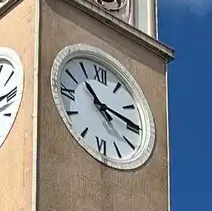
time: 10:14
